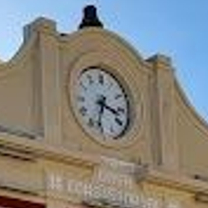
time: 3:32
